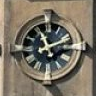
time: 11:11
